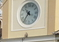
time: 10:36
